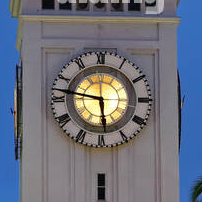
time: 5:47
